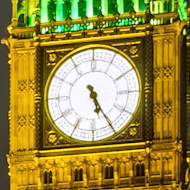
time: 5:25
